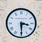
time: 3:29
